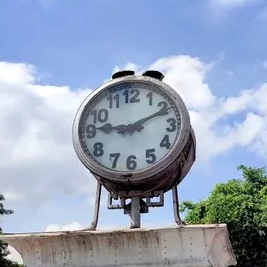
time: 9:10
